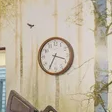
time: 3:34
